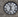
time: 11:33
